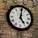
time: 5:01
